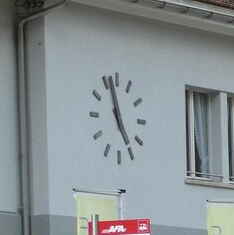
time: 4:57
